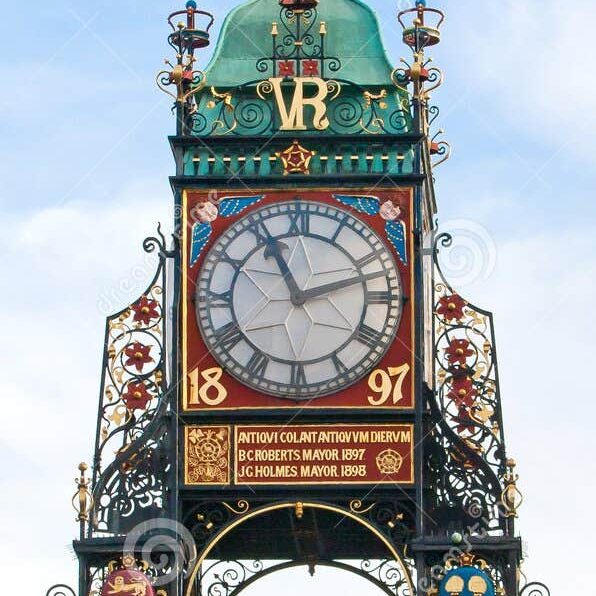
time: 11:12
